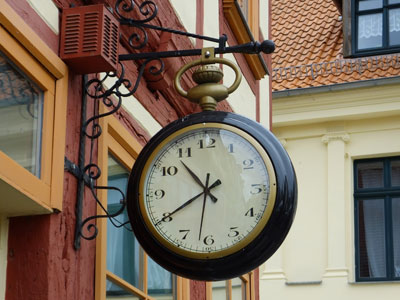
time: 10:39
